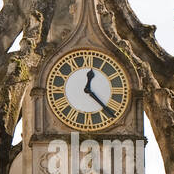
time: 12:22
